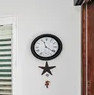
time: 11:20
